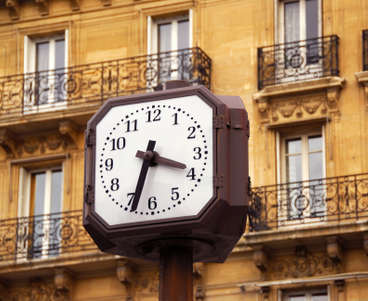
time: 3:33
